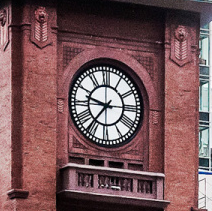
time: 9:36
